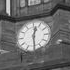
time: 12:29
